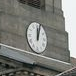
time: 12:03
